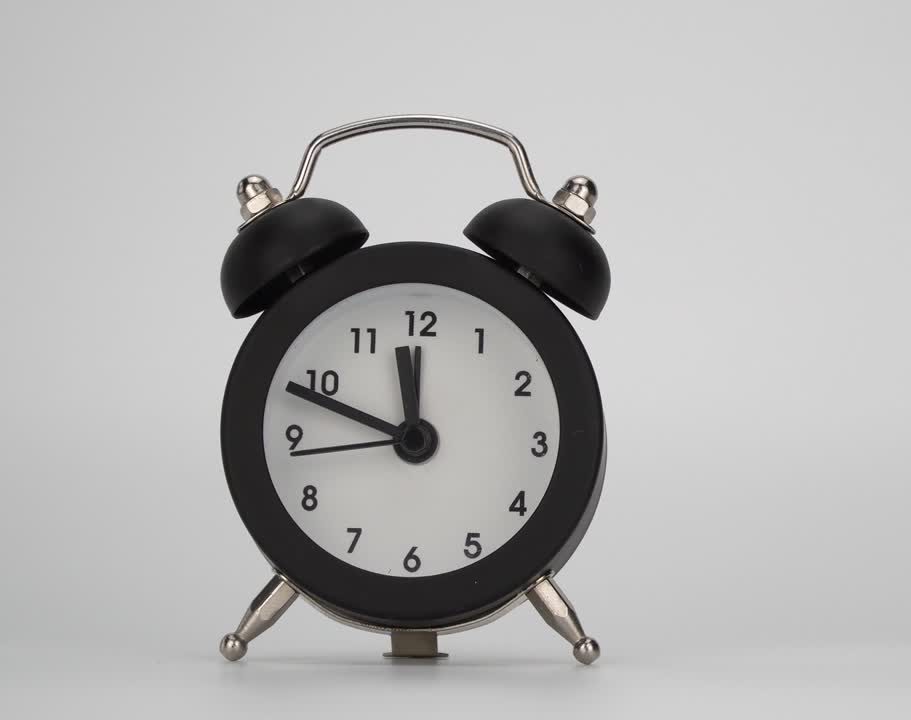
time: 11:48
